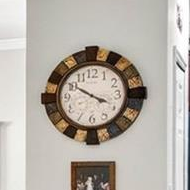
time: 3:50
